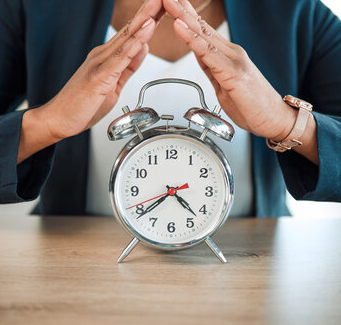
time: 4:38
